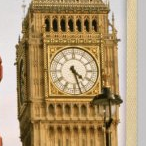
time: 4:27
